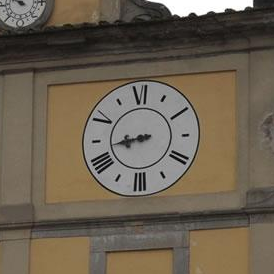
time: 8:42
